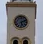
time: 5:11
